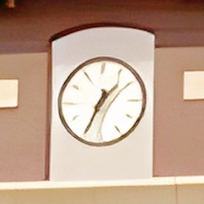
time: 1:34
